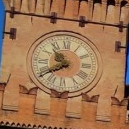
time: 10:39
